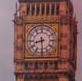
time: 8:29
